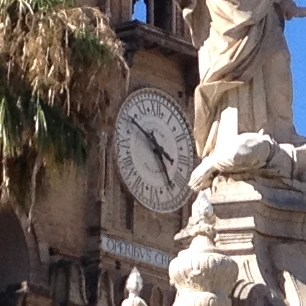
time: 4:49
